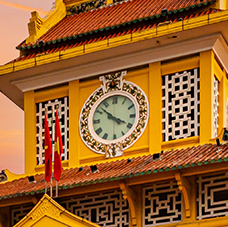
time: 3:52
